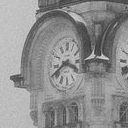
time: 3:40
